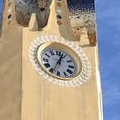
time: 12:34
